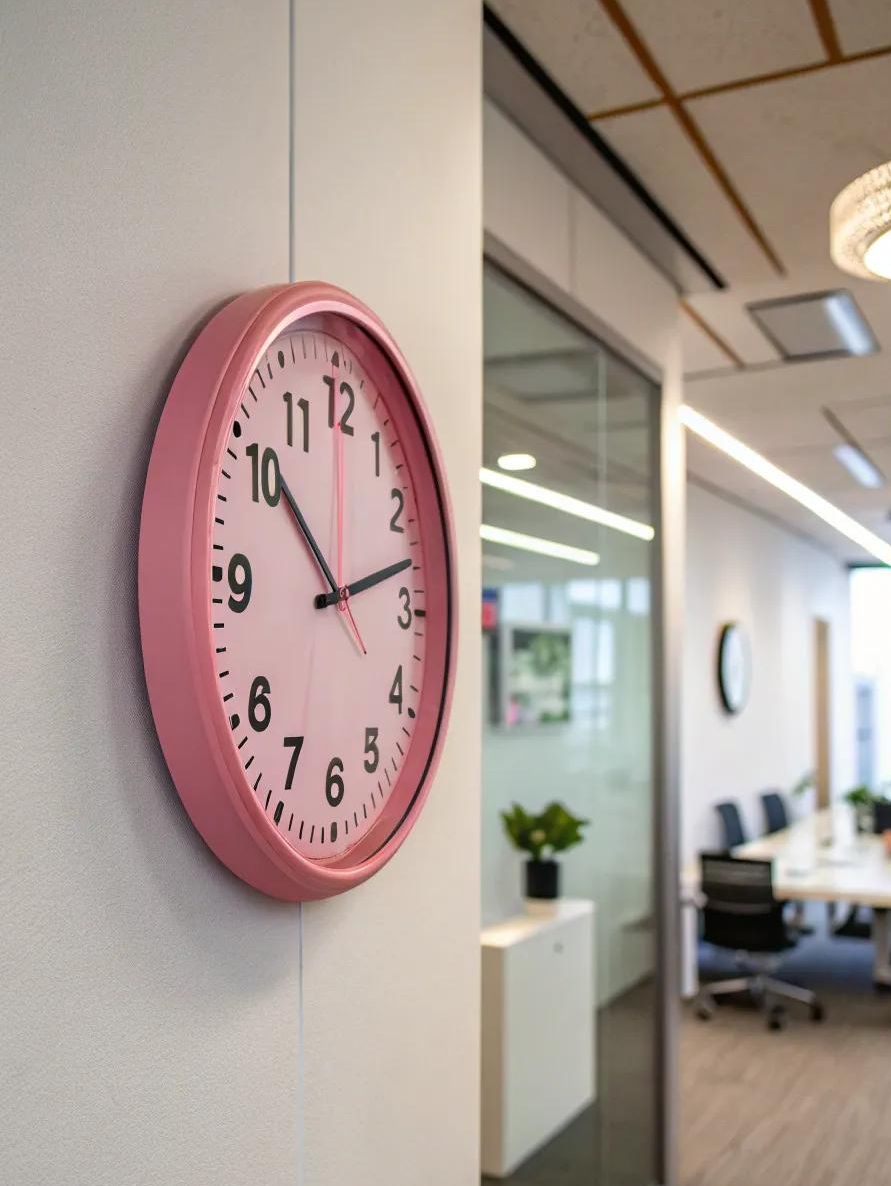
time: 10:12
